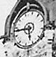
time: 5:43
